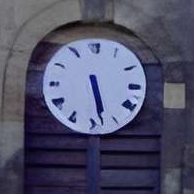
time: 5:28
